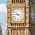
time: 4:14
